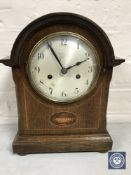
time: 1:55
